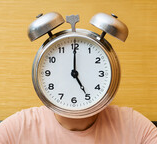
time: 5:00
